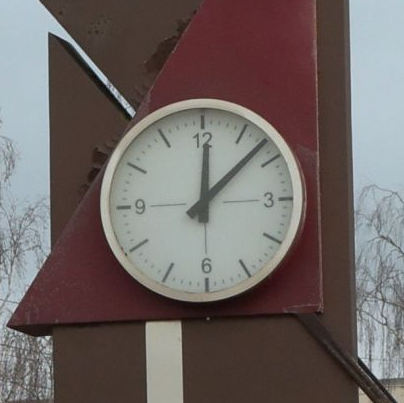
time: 12:07
